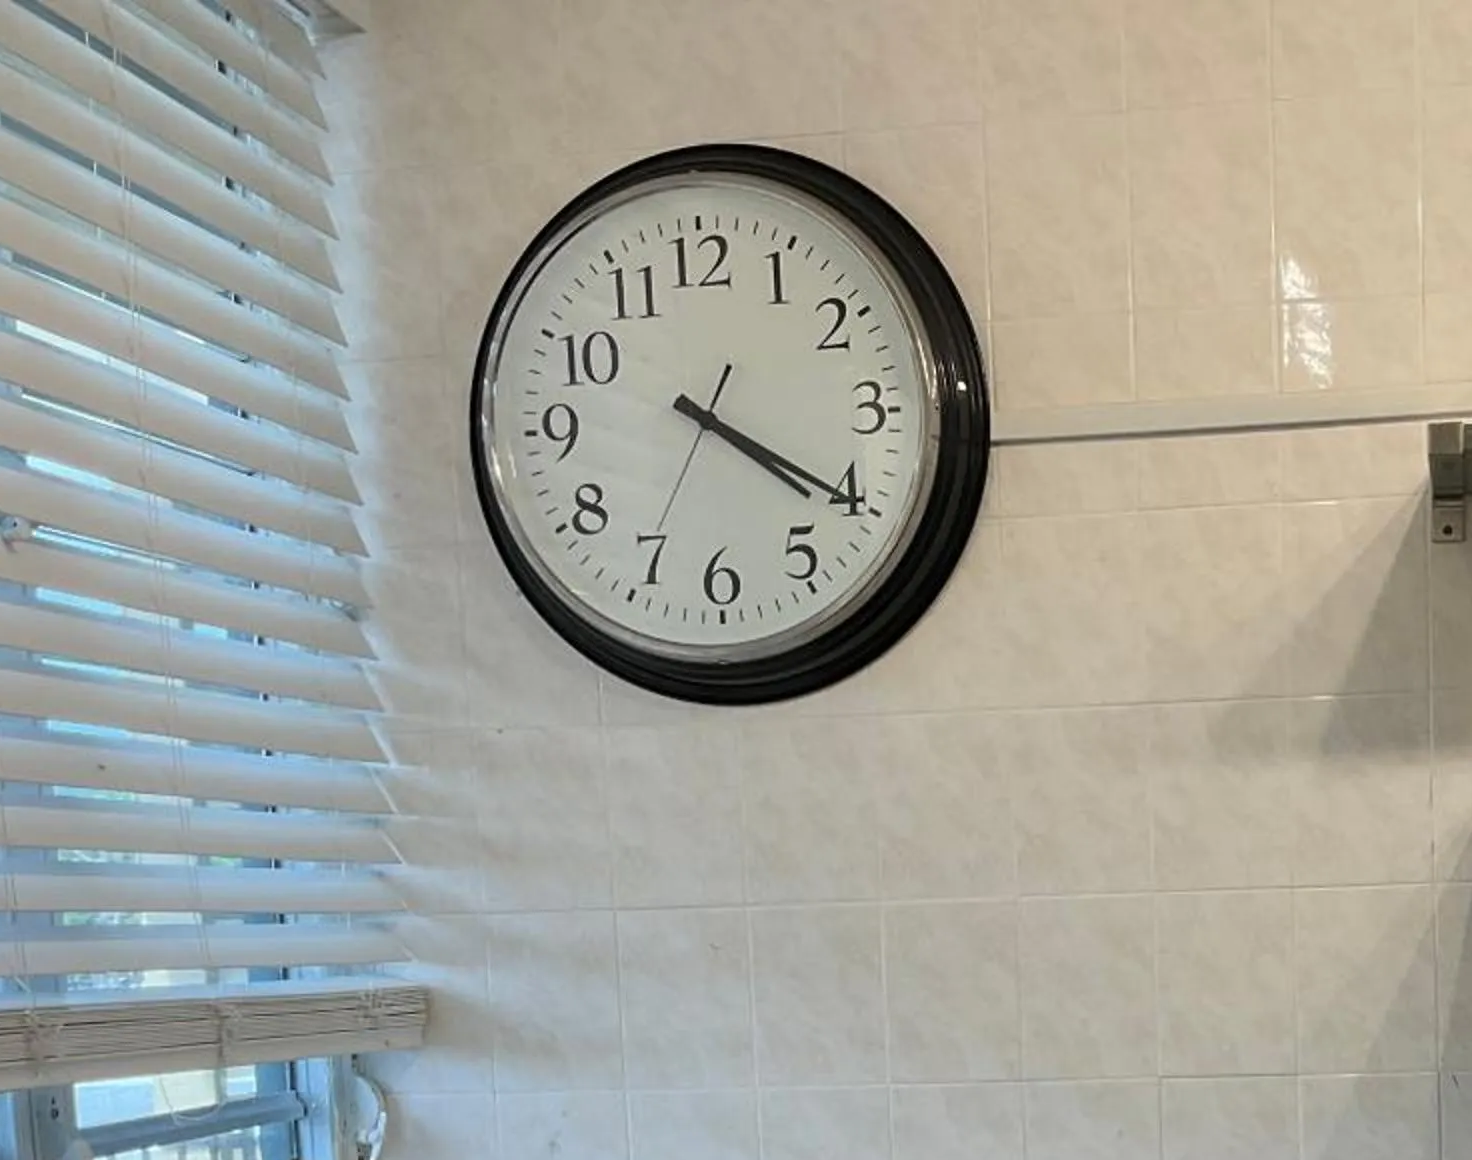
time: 4:20
